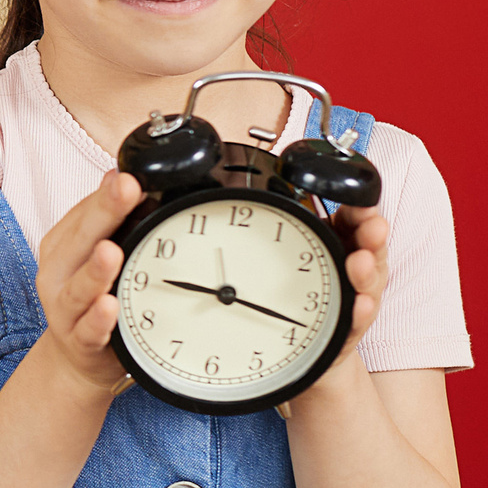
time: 9:18
